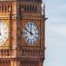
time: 11:49
